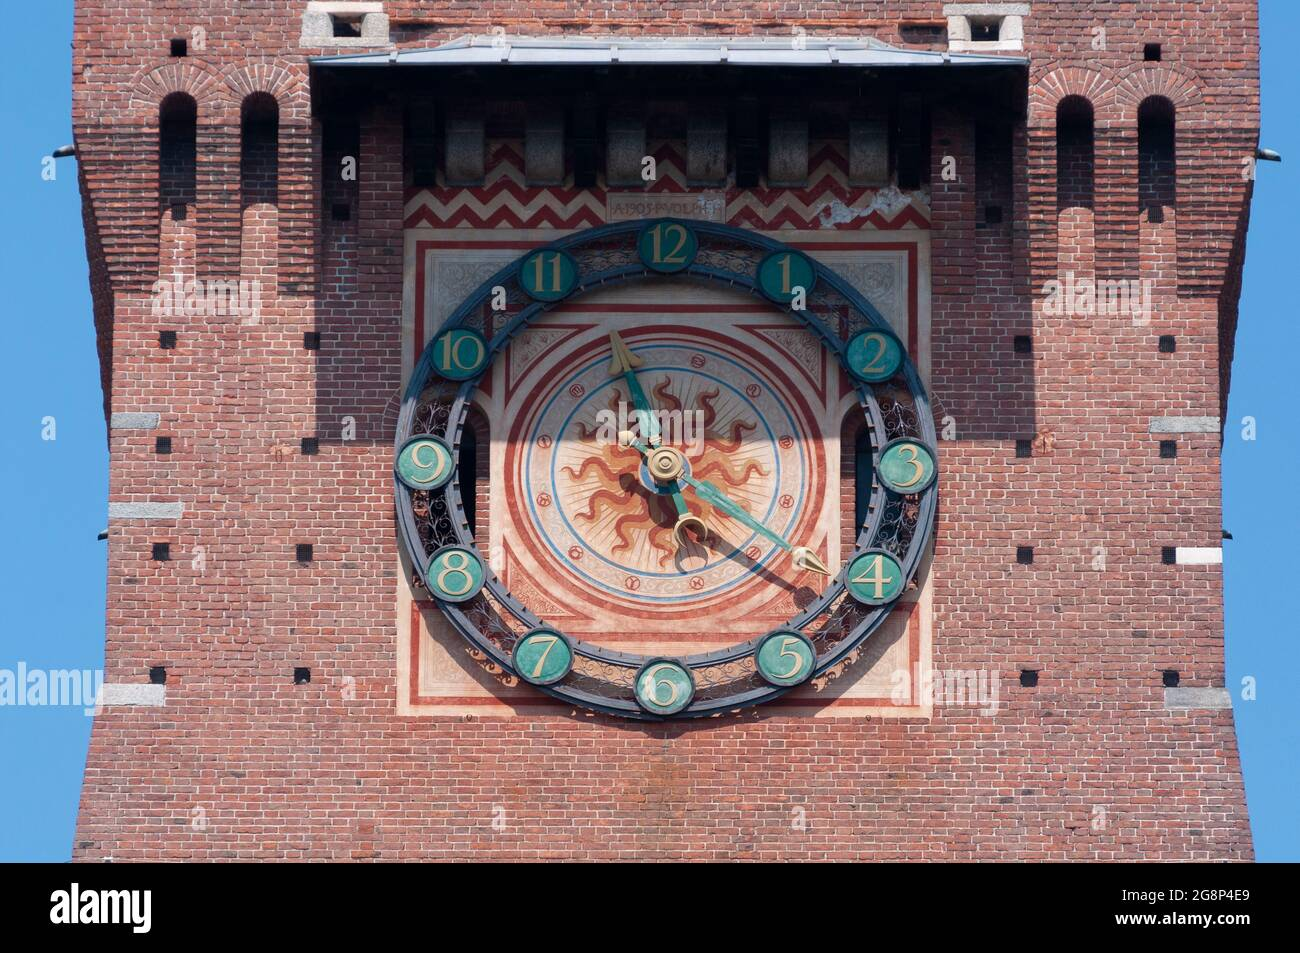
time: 11:21
